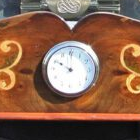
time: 10:00
